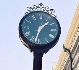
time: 1:32
